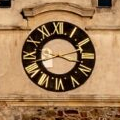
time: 3:42
